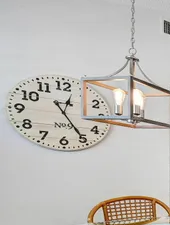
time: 12:24
